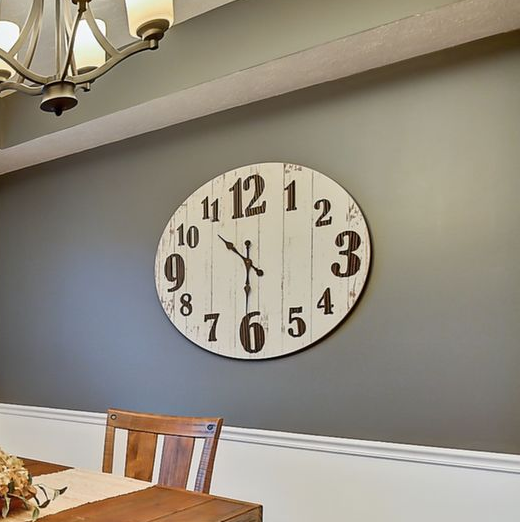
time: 10:30
